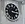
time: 1:16
